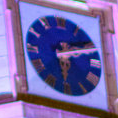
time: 6:11
